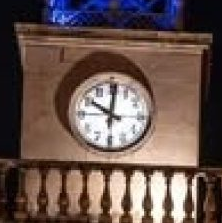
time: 10:00
